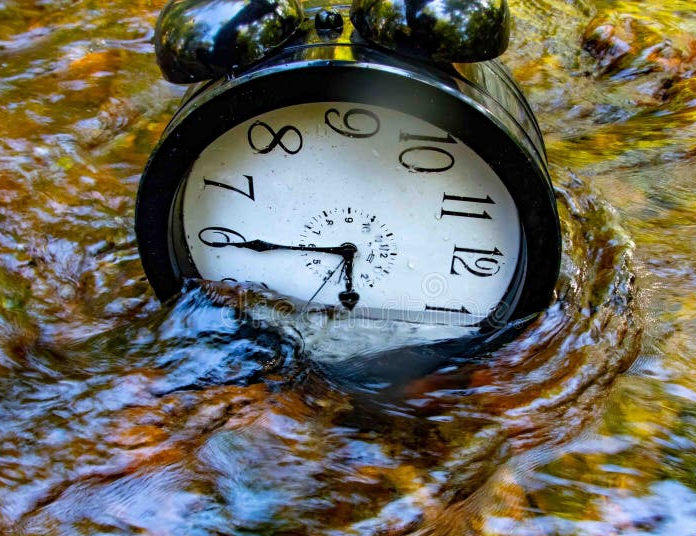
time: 6:45
